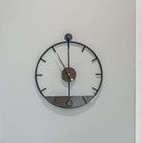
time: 5:59
